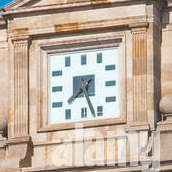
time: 7:27
